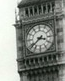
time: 3:38
